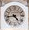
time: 4:43
